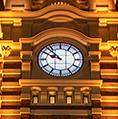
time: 9:53
